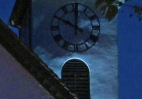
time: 10:00
